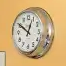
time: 12:50
